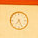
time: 7:25
